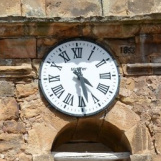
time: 4:28
